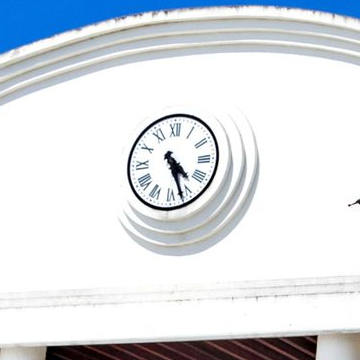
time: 4:26
